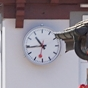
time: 10:44
